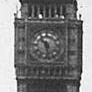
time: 10:28
